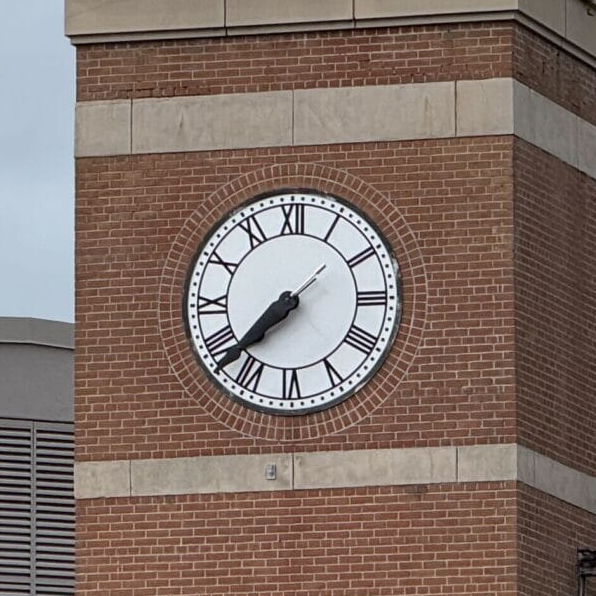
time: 7:37
